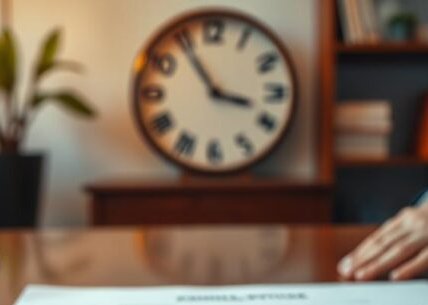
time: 3:54
